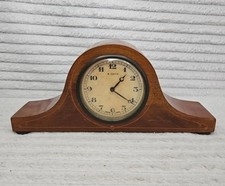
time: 1:21
